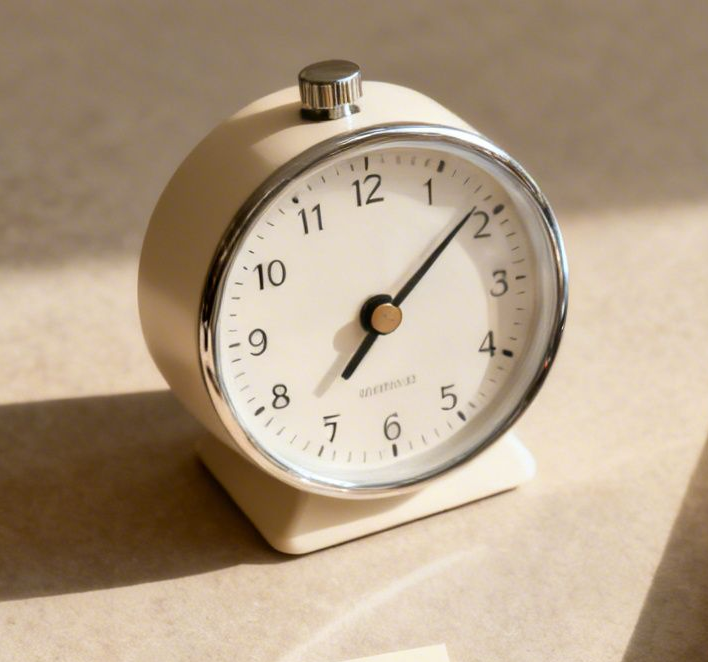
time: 7:08
